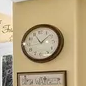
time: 11:08
